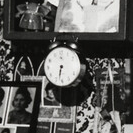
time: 6:32
